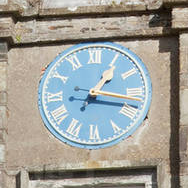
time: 1:16
